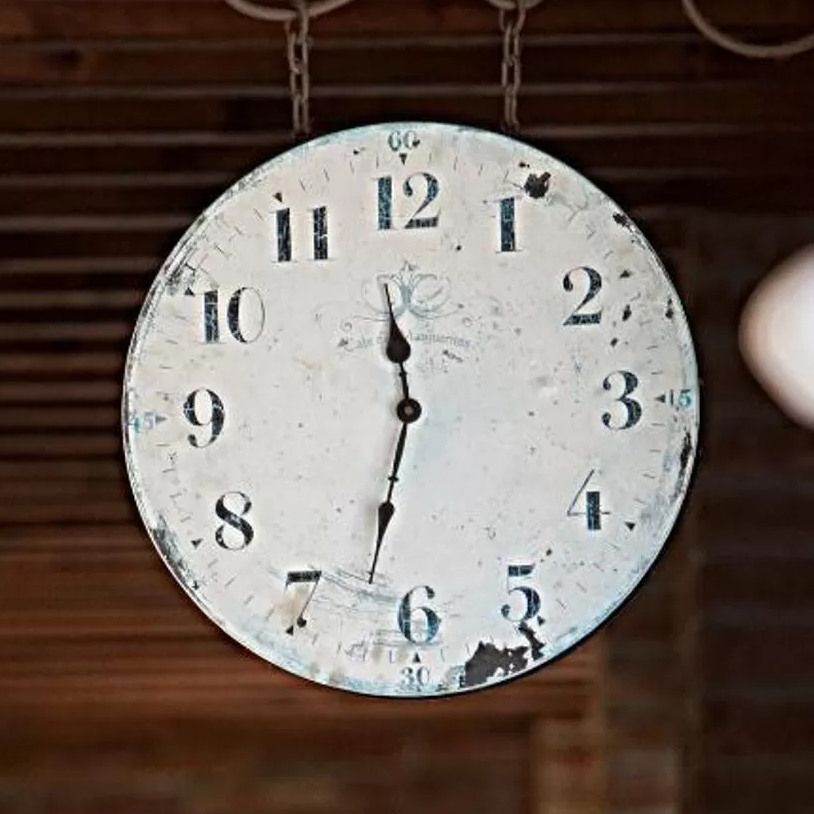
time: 11:32
